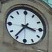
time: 3:36
